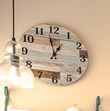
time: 12:57
